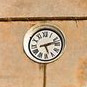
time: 5:12
